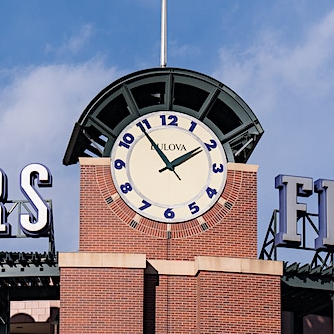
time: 1:54
